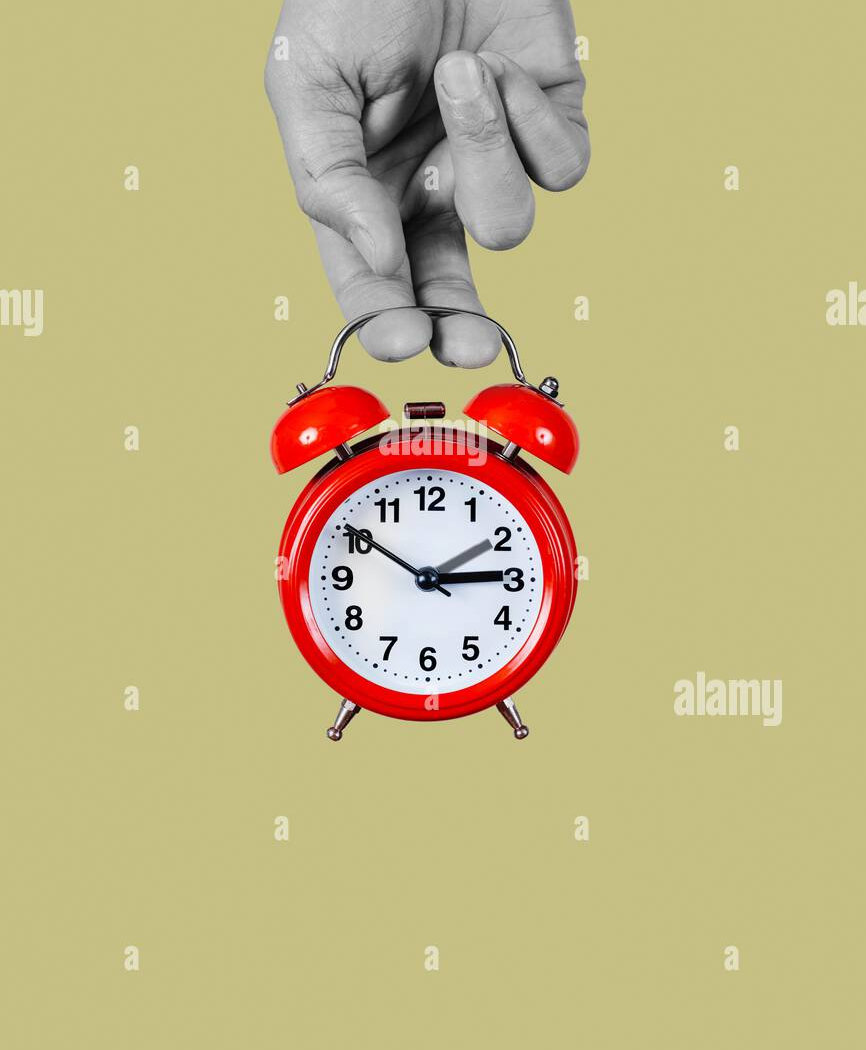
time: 2:50
